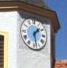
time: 1:28
